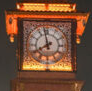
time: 7:58
